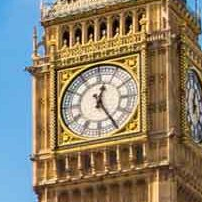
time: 12:24
